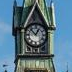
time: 12:52
